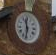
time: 11:32
